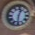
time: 12:30
